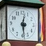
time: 12:28
